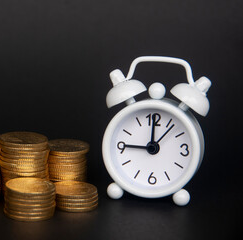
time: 9:00
